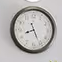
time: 8:26
